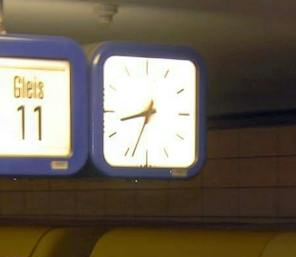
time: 8:33
